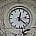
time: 12:21
